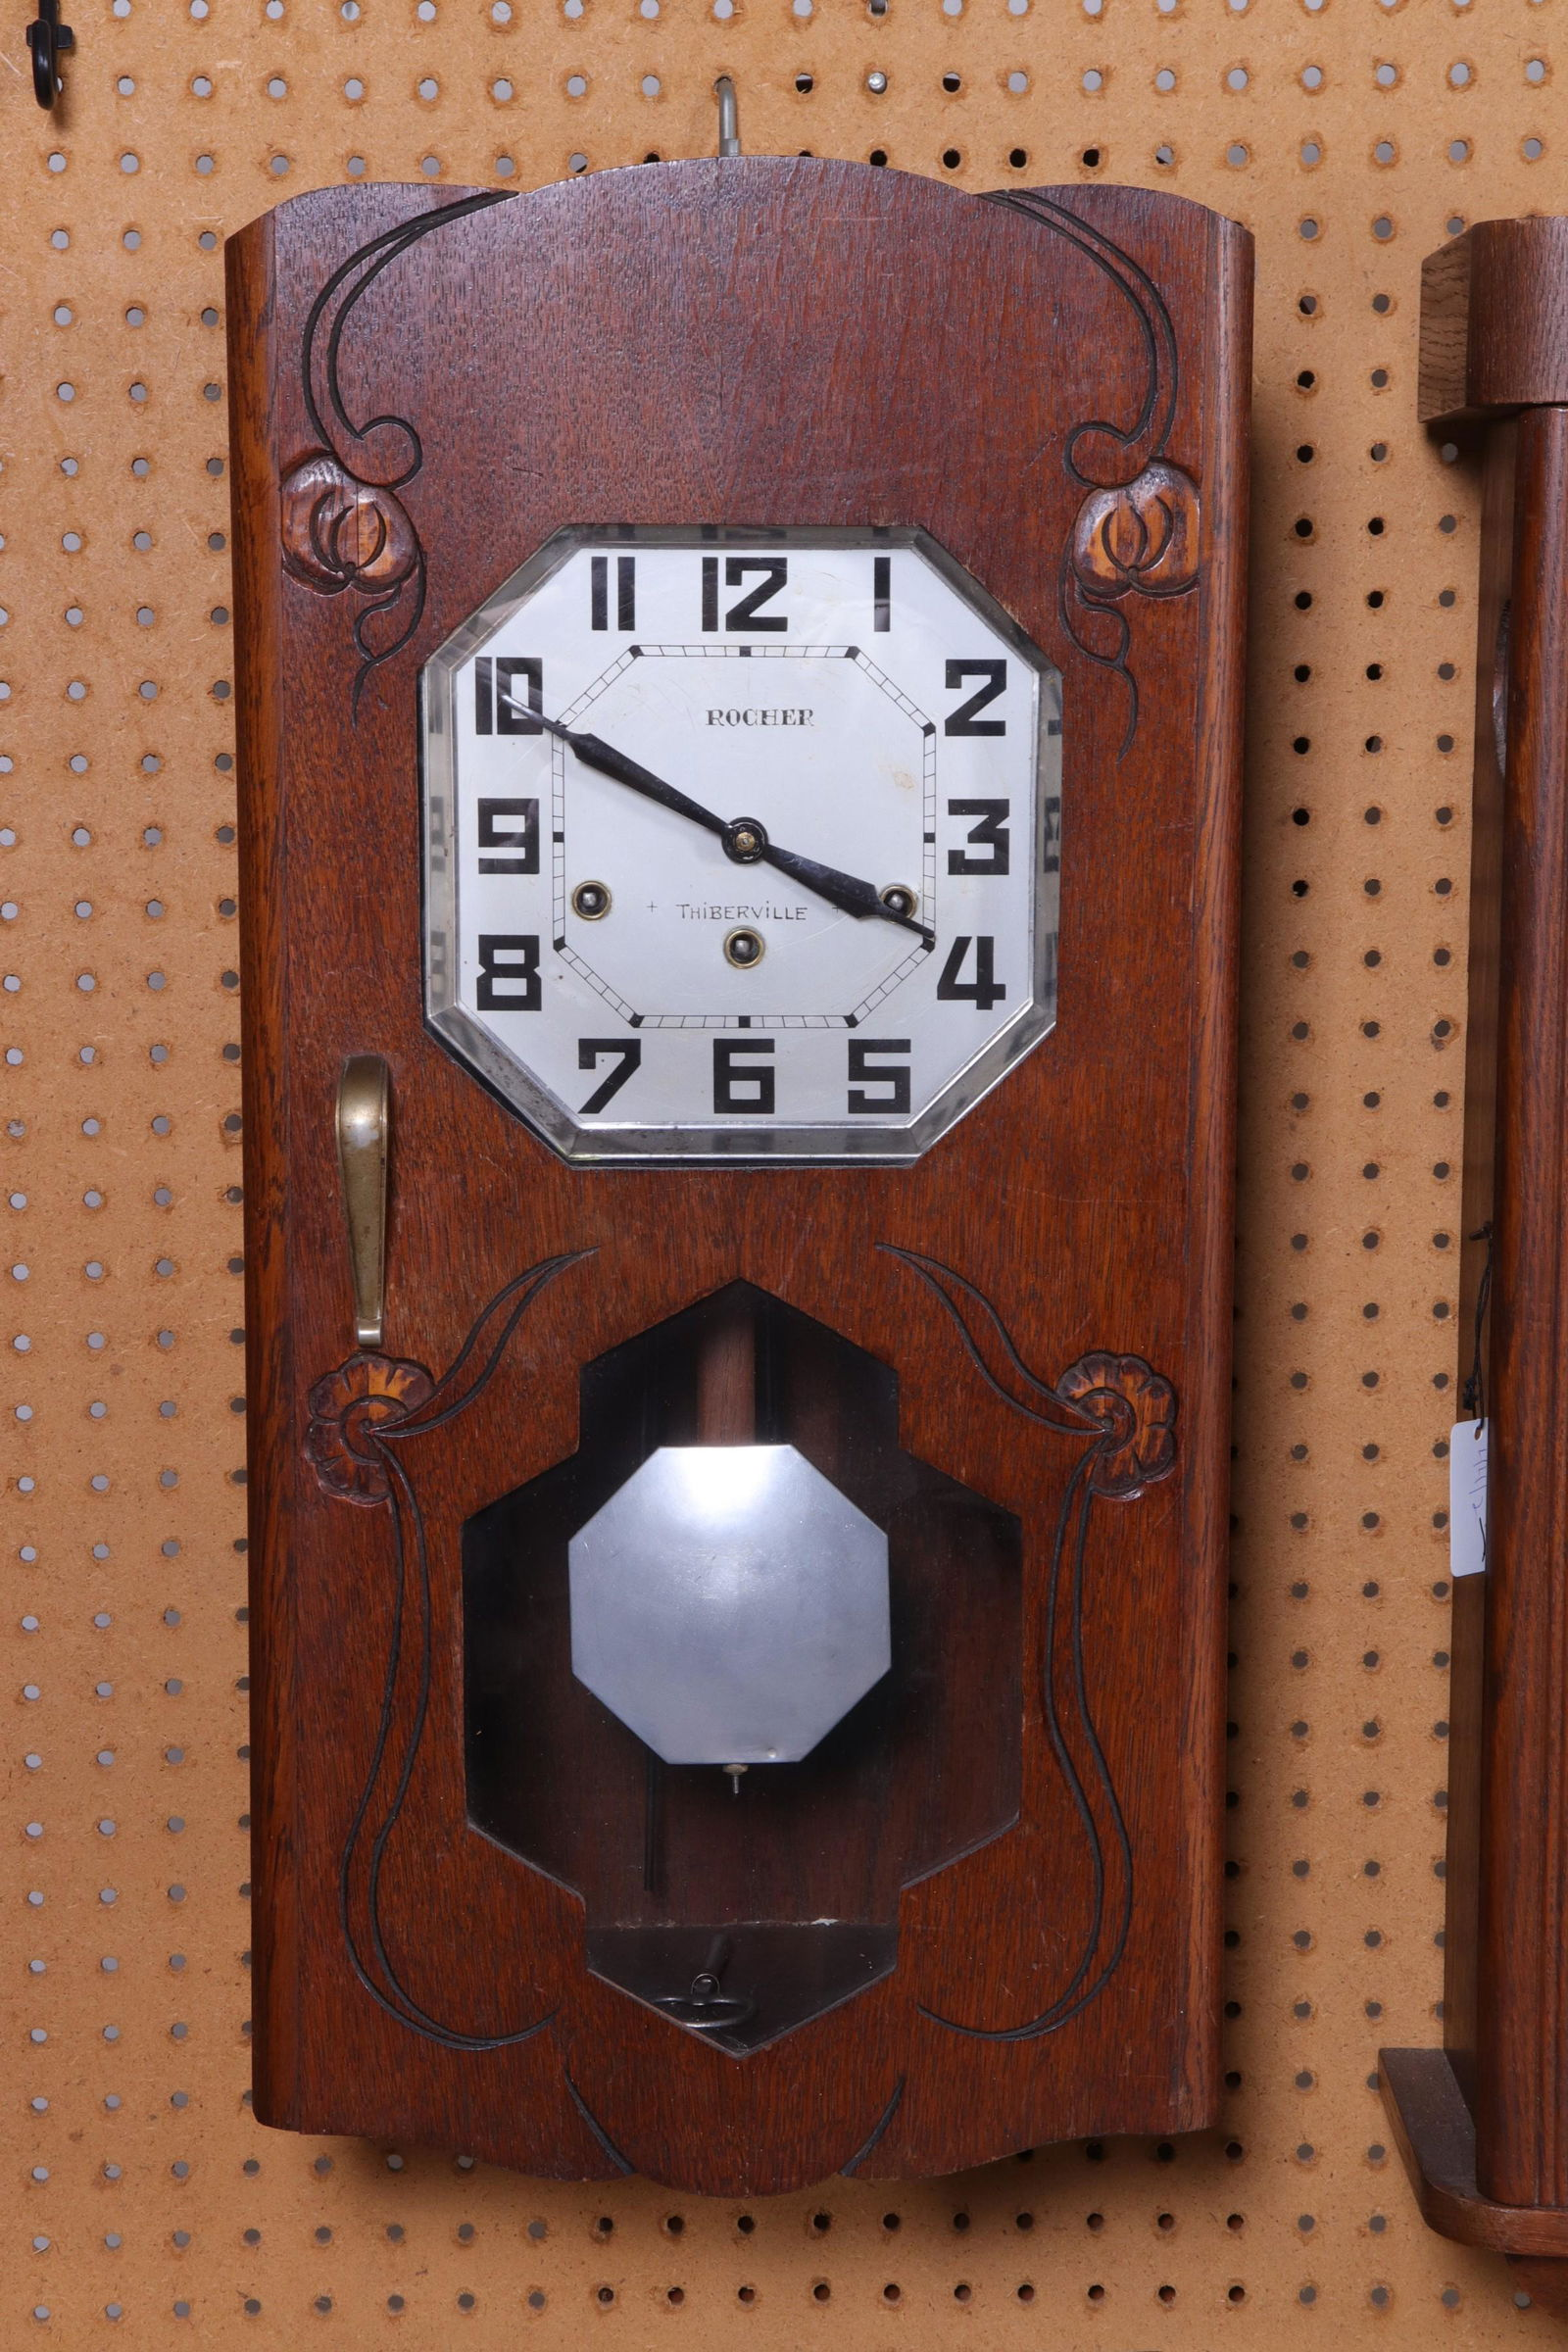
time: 3:49
